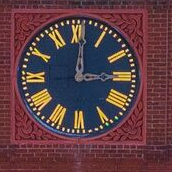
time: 3:00
